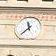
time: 11:37
